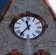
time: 11:36
